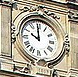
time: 9:59
